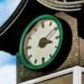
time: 3:09
